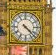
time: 4:22
